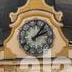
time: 2:06
